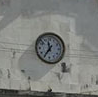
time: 11:35
